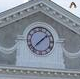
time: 1:37
